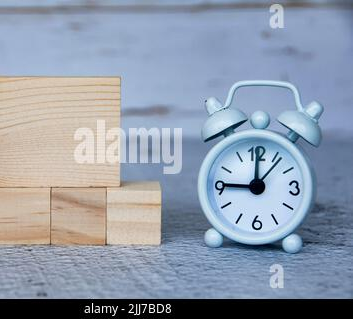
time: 9:00
